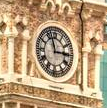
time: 2:57
